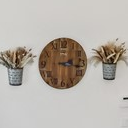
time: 2:16
